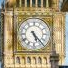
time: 5:23
